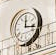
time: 12:16
